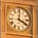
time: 4:00
